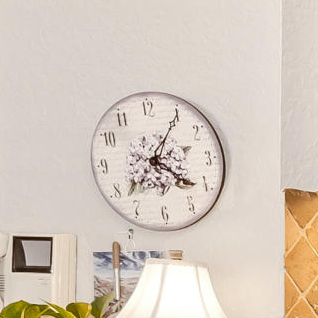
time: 4:05
